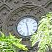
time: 11:28
